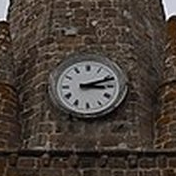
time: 3:11
